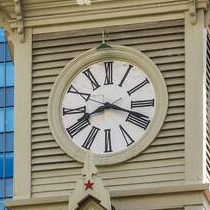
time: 8:18
